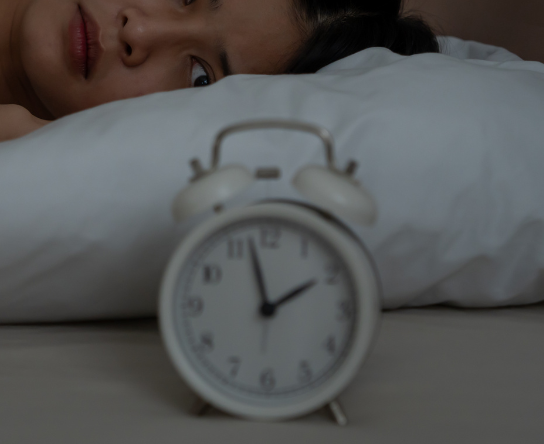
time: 1:57
